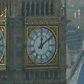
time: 12:09
